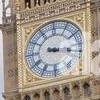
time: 3:16
